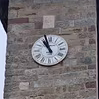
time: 10:57
